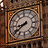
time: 8:38
